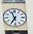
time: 6:56
